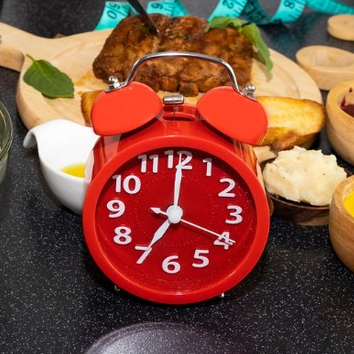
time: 7:00
